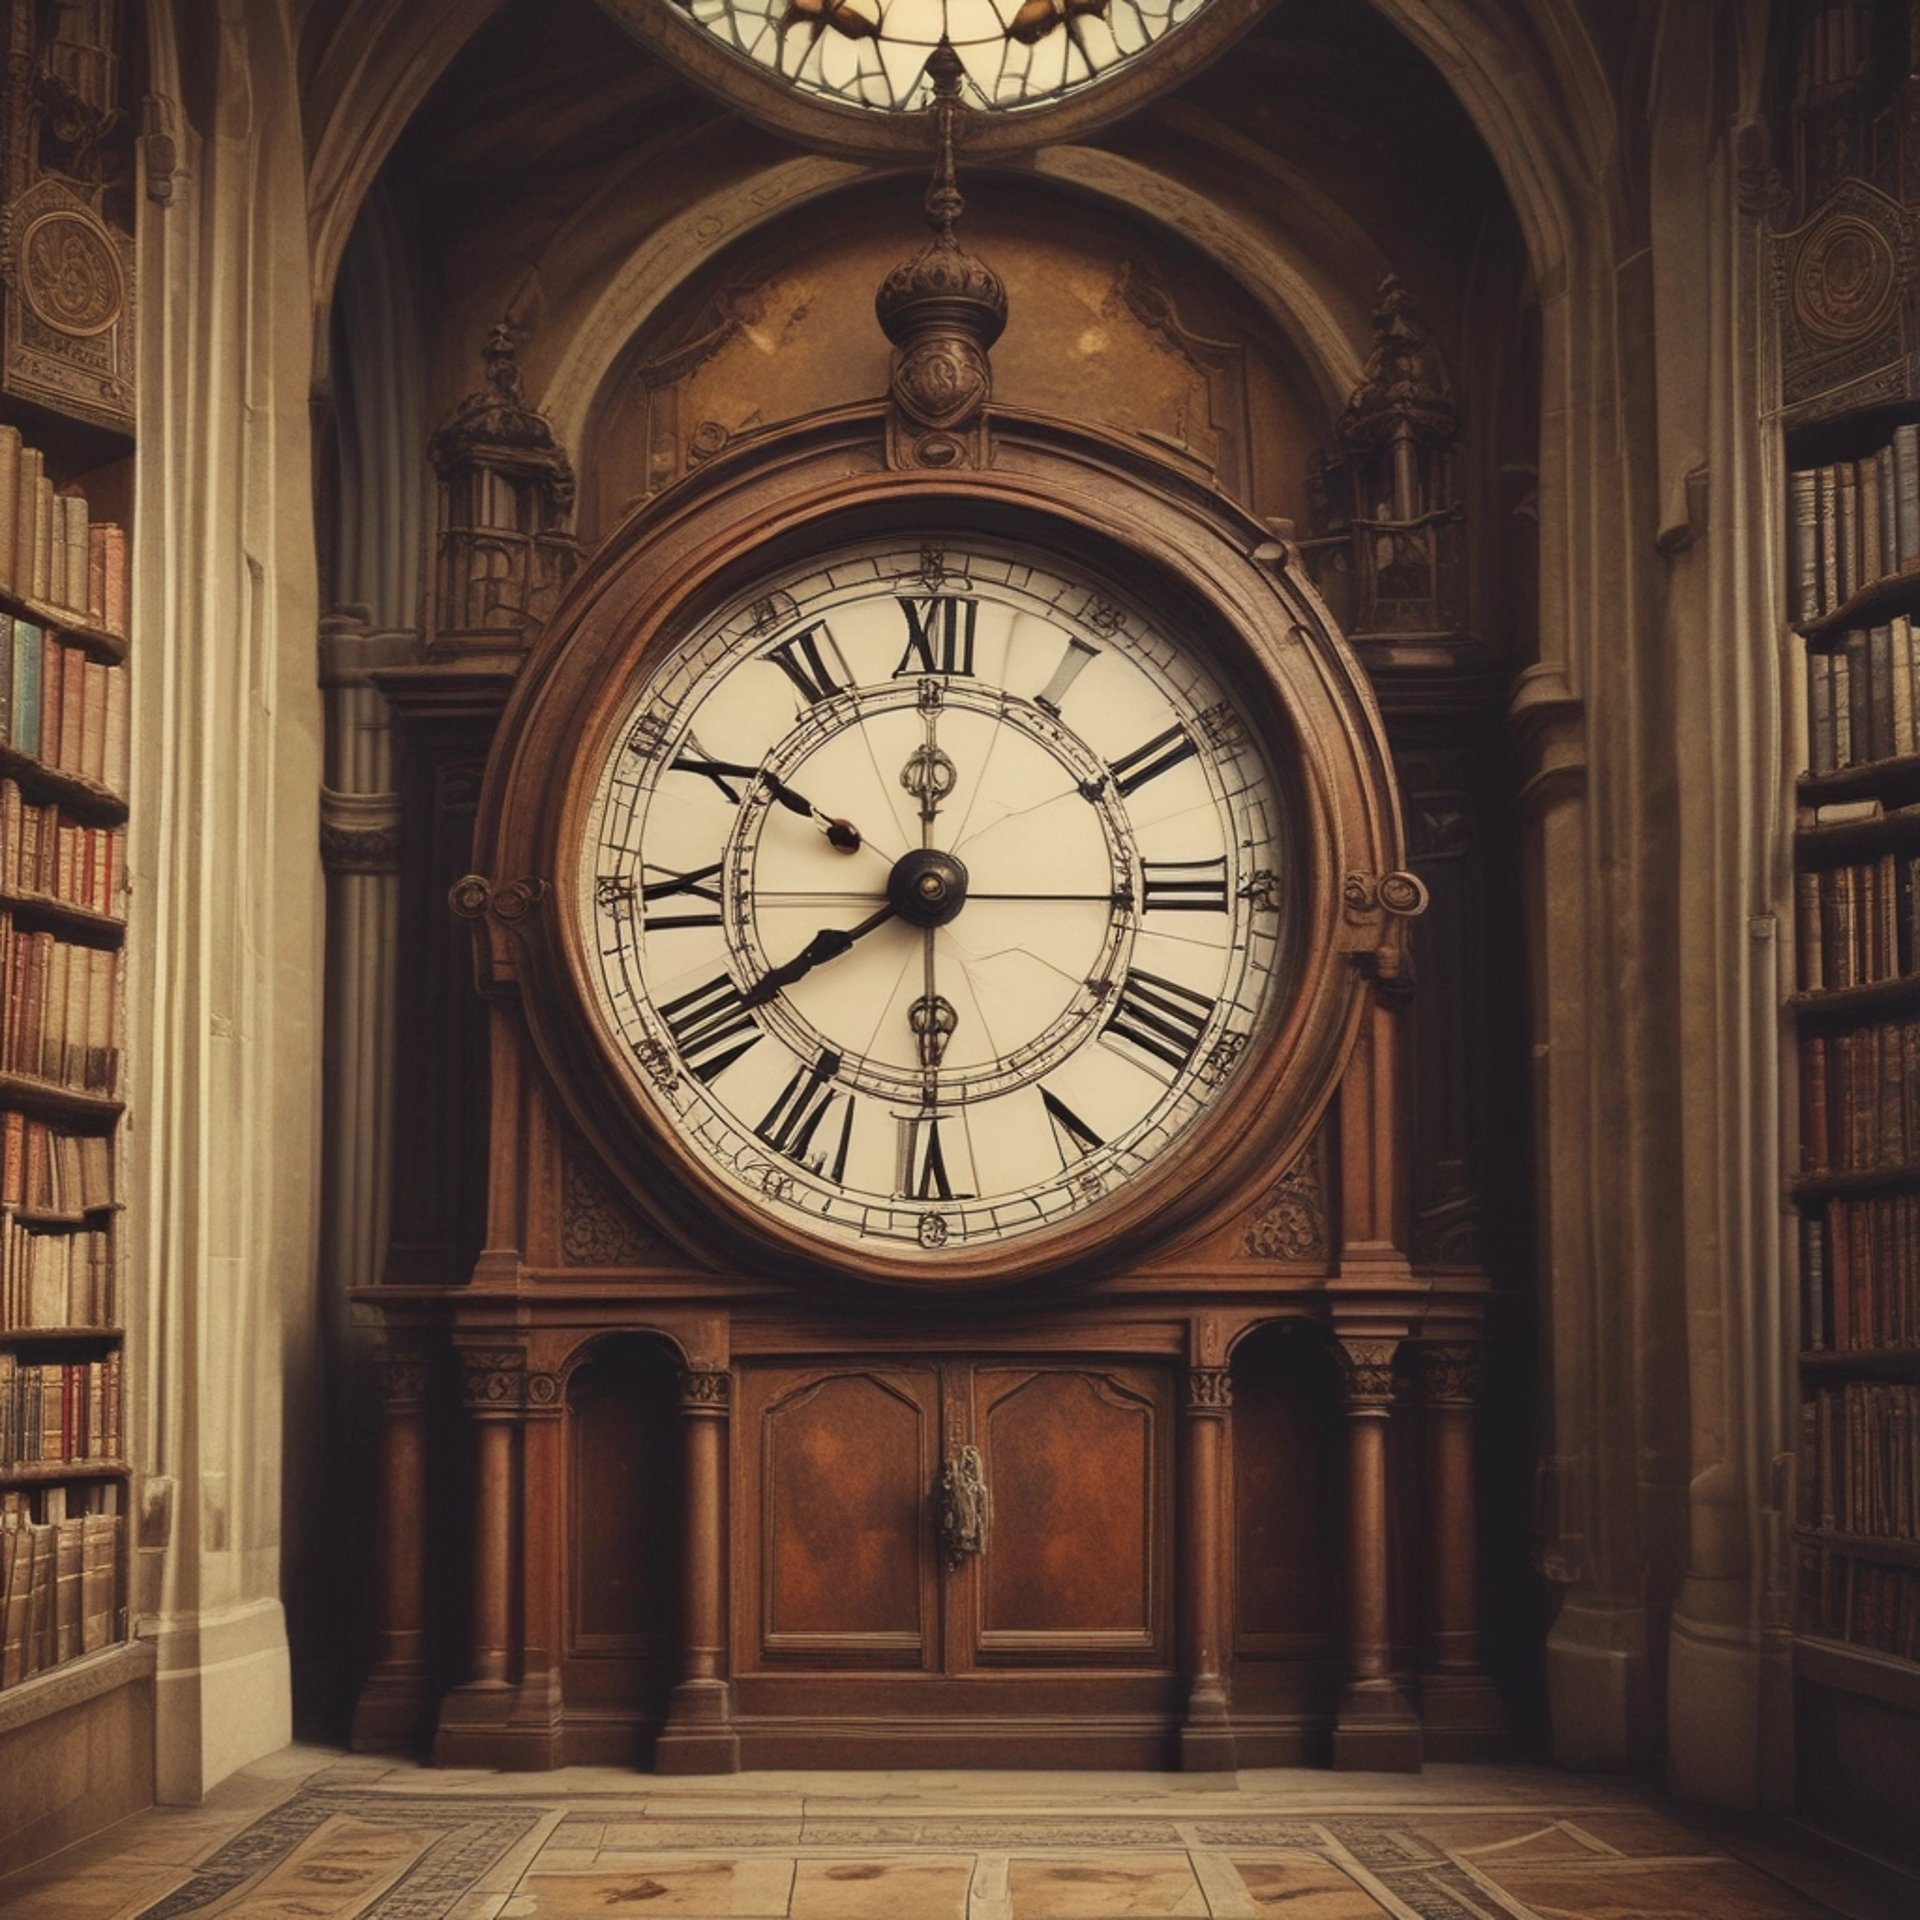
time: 8:00
